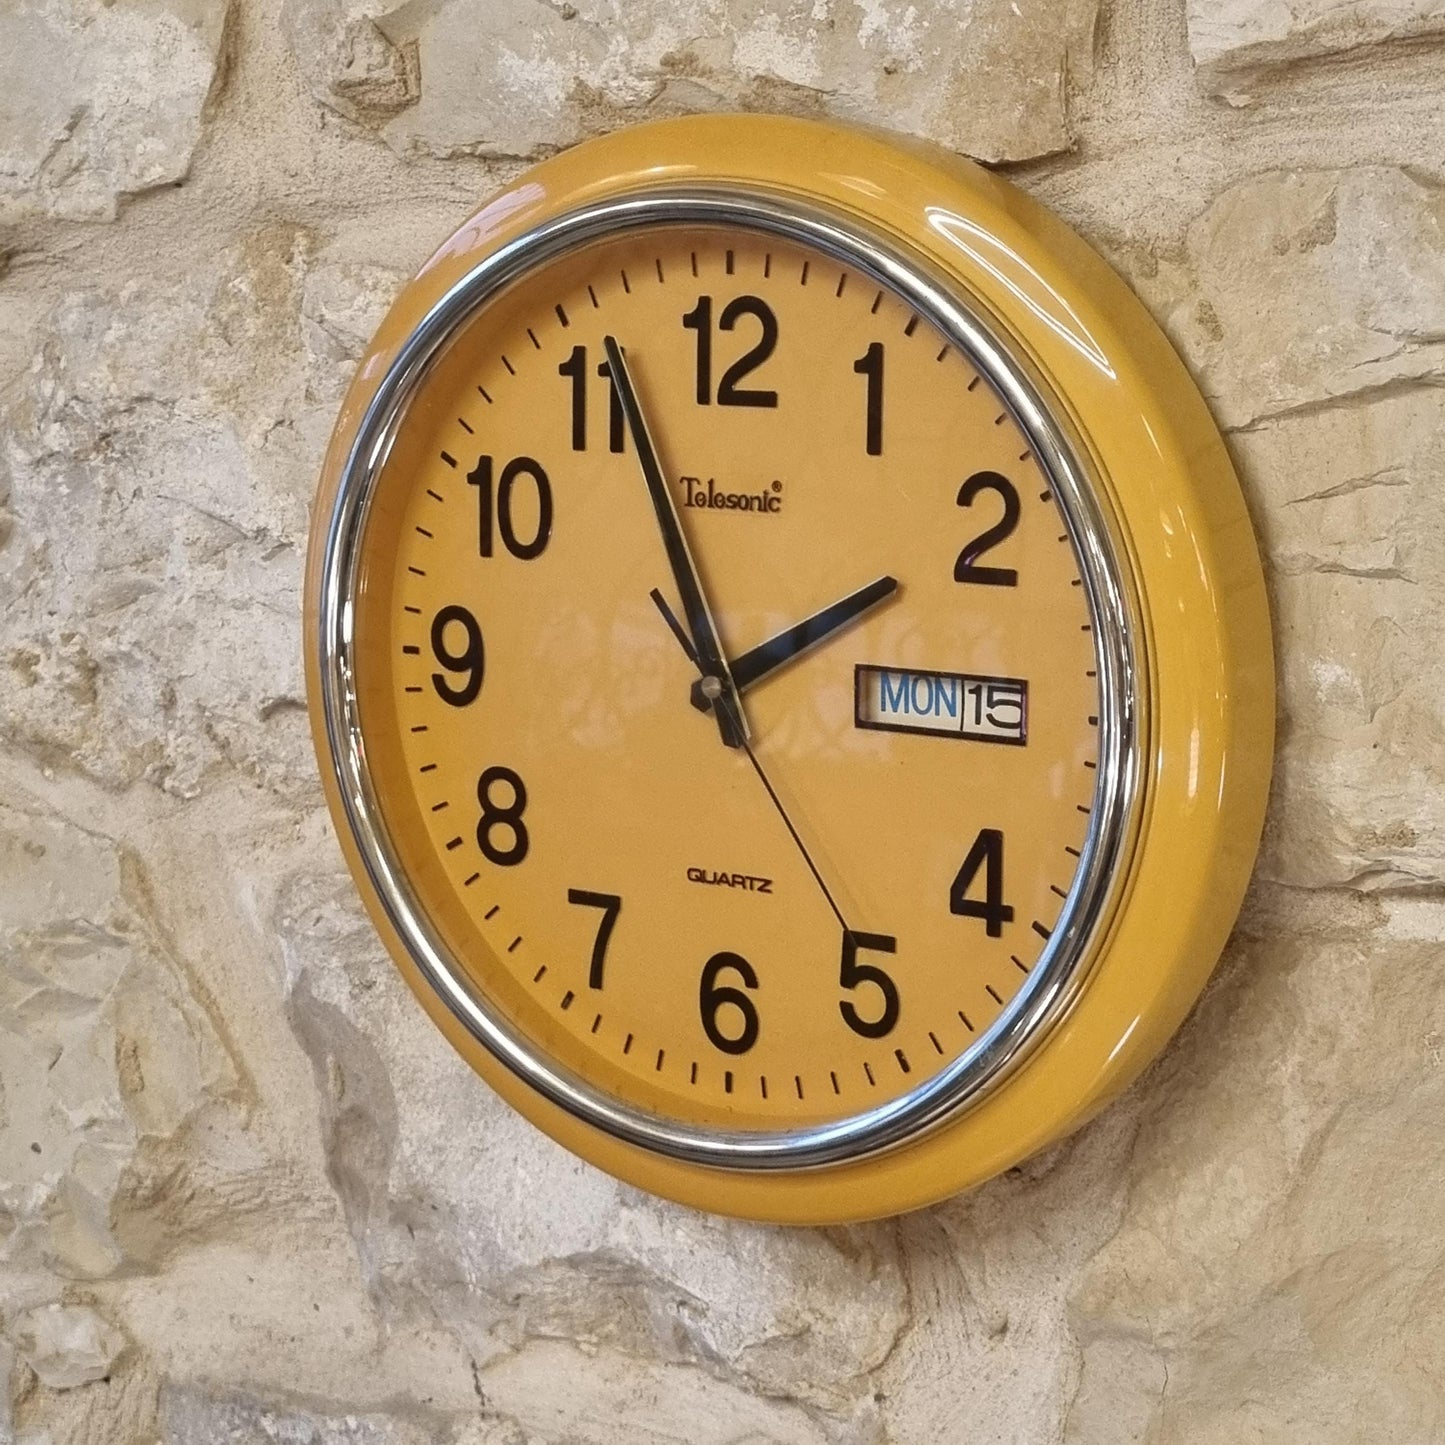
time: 1:56
